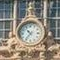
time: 10:36
